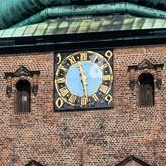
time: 11:28
